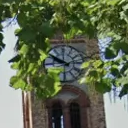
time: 9:50
